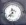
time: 11:37
